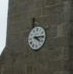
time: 4:14
